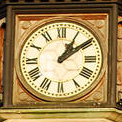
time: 1:09
